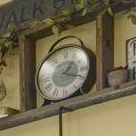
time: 1:18
